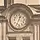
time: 12:34
